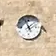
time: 1:56
